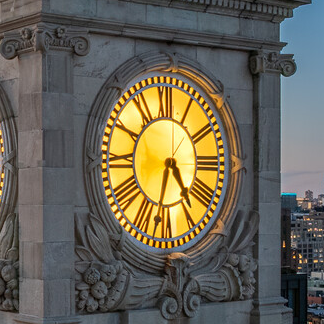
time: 4:32
